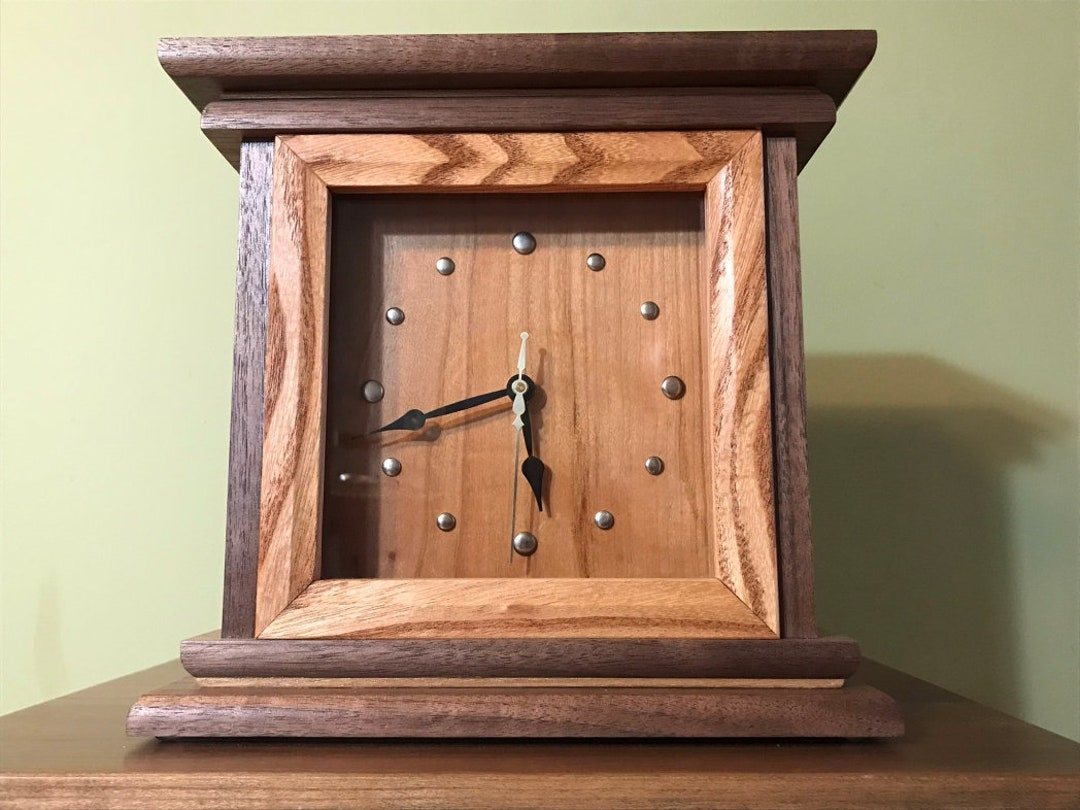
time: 5:42
